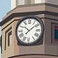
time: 10:08
